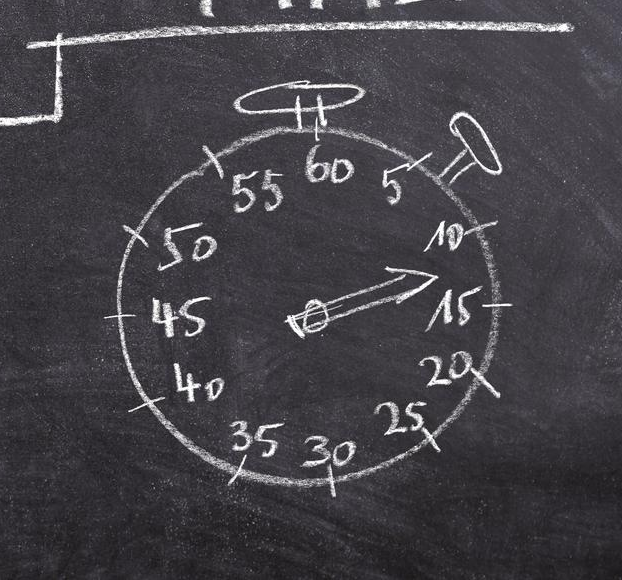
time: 2:12
